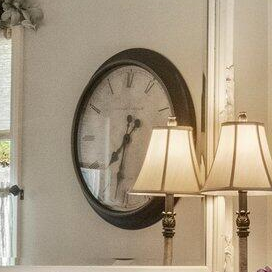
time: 7:32
